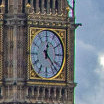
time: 12:22
